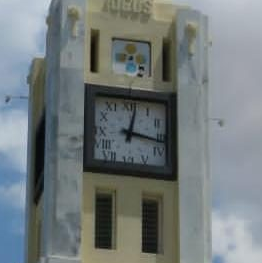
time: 12:16
